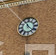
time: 11:22
